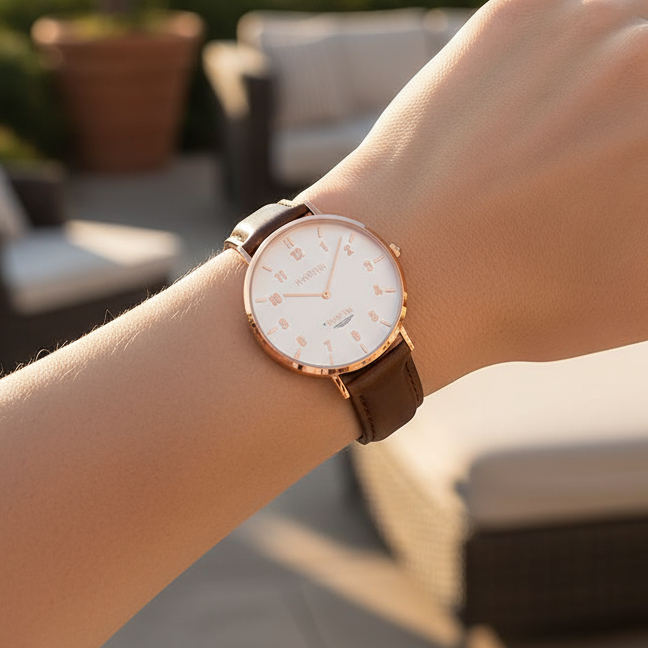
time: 9:03
